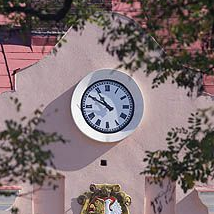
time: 10:49
